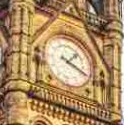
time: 1:18
